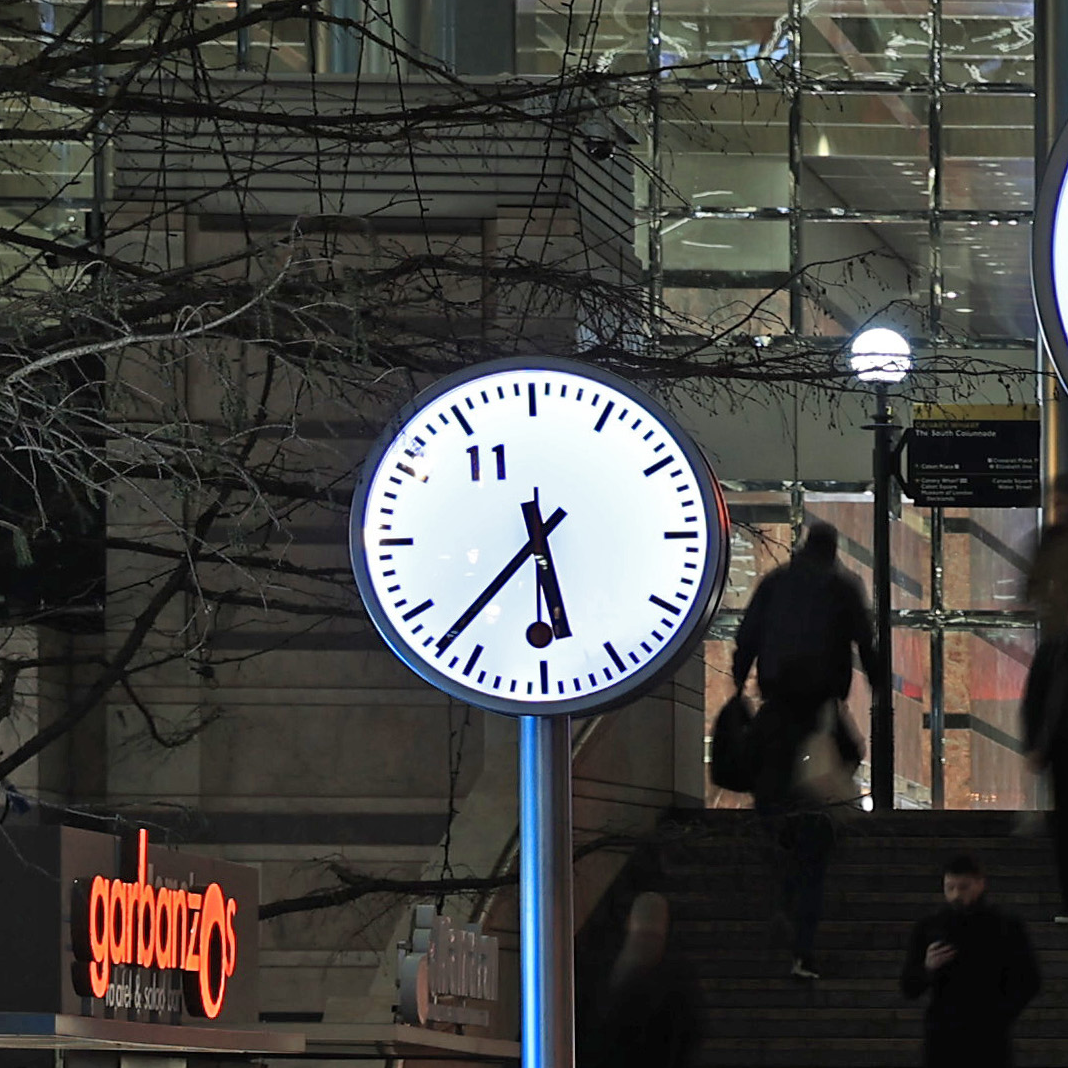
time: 5:37
